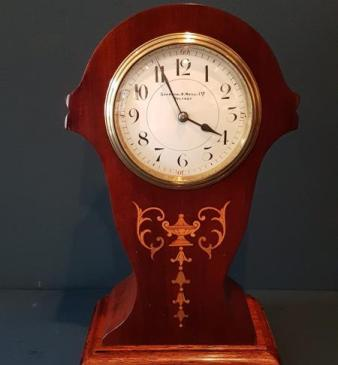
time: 3:55
